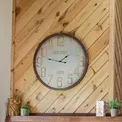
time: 1:46
